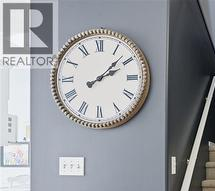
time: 2:07
